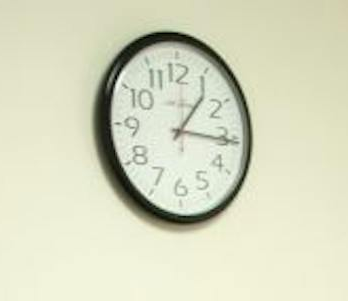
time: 1:15
